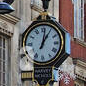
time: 1:01
